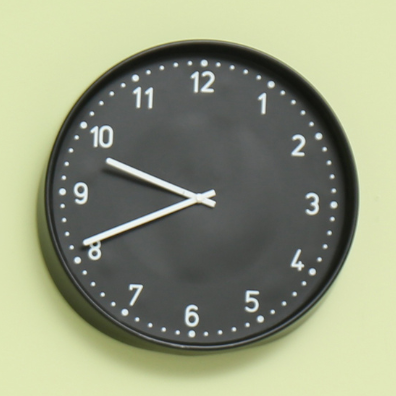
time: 9:40
